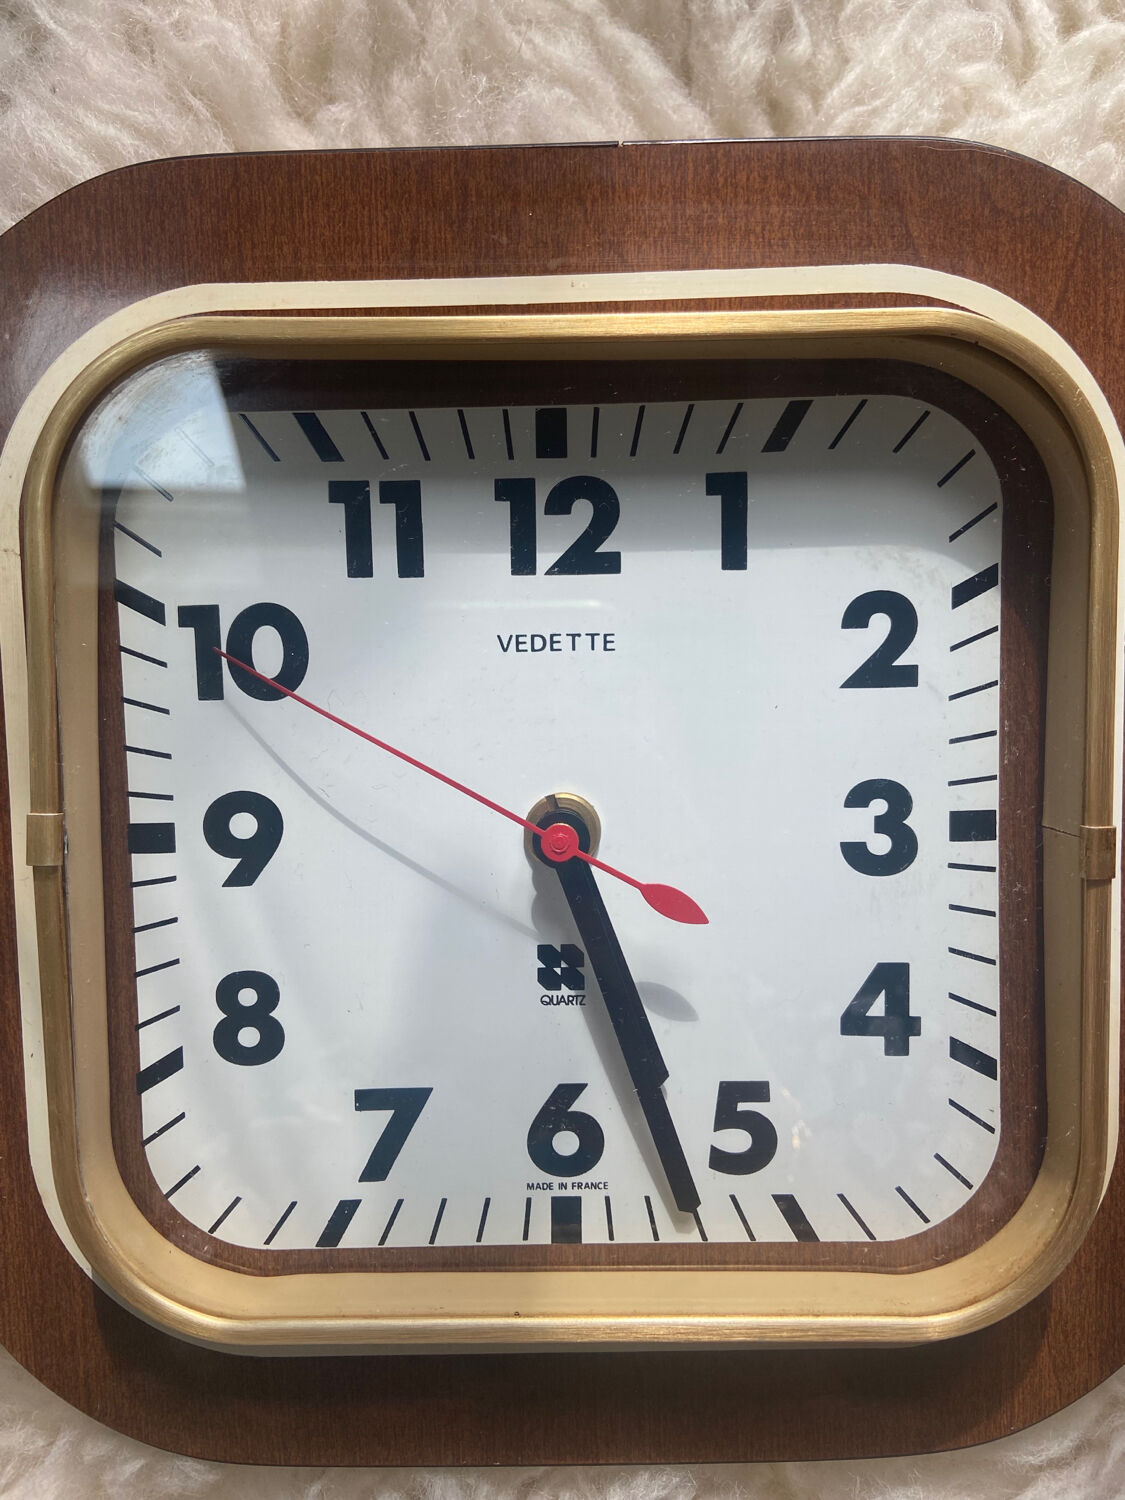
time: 5:26
